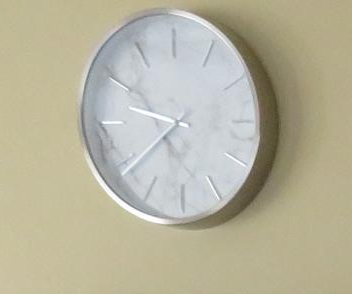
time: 9:39
